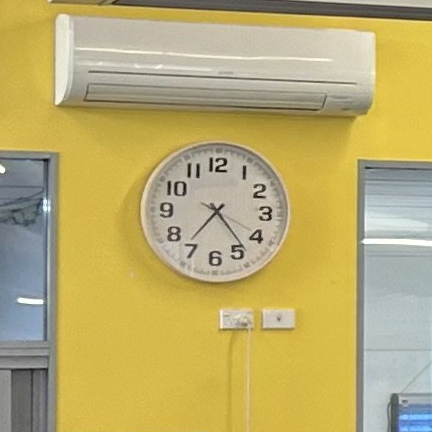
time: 7:23
